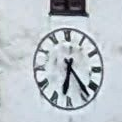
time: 6:23
